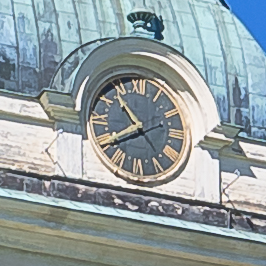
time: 10:39
